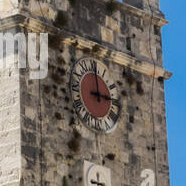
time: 3:00
